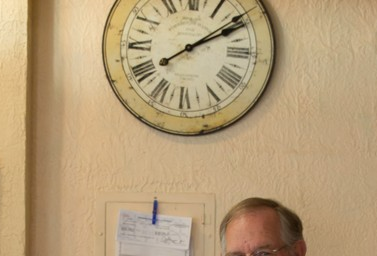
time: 2:09
